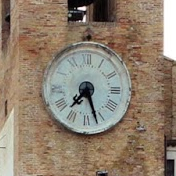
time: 7:27
